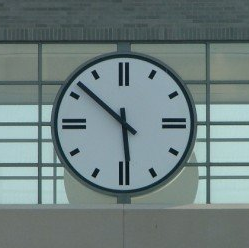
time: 5:51
